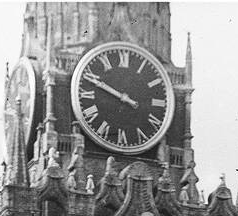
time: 9:48
